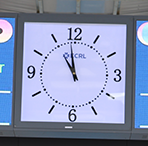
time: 10:58
